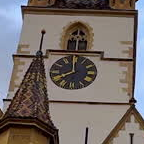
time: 7:59
